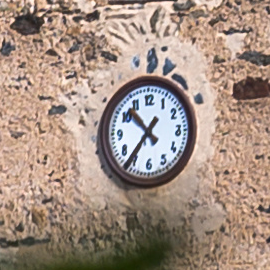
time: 10:36
